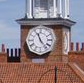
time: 11:23
